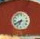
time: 6:40
